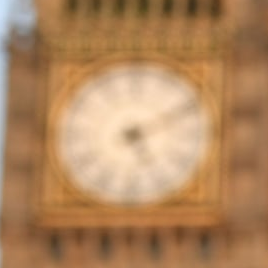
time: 5:10
